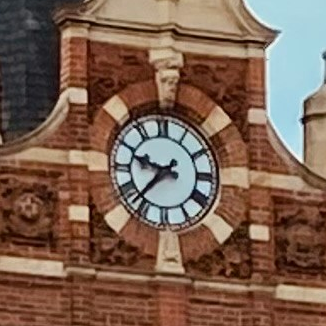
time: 9:37
